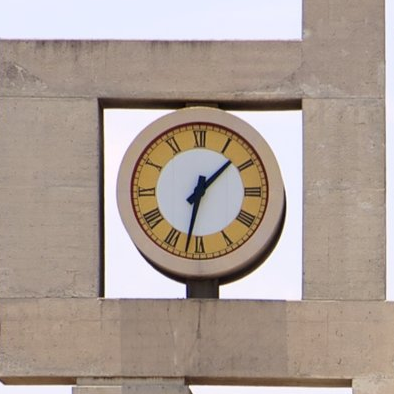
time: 1:32
